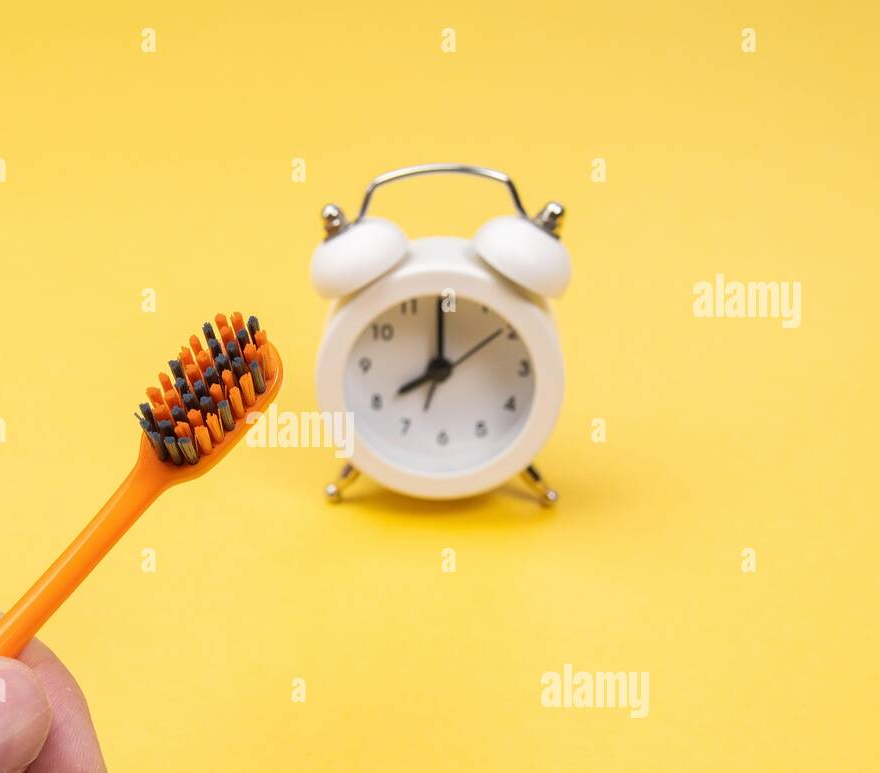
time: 7:59
